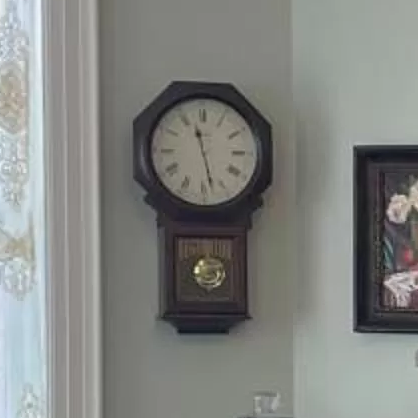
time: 11:28
